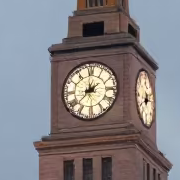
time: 8:38
